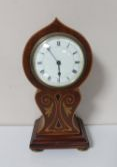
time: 5:53
